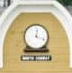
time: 12:18
